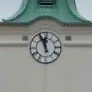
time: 11:55
